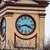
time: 3:42
